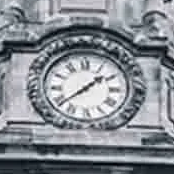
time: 1:39
